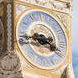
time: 3:43
